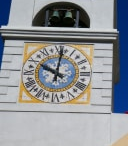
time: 10:00
